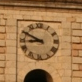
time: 8:49
